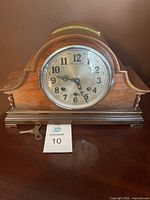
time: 9:25
